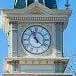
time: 11:22
